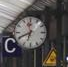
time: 11:40
